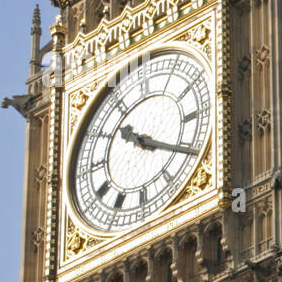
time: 10:20
